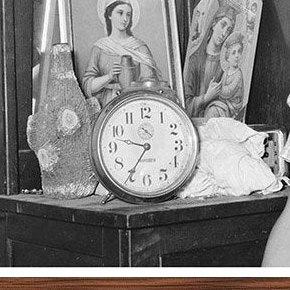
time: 9:35
